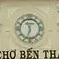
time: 11:32
